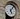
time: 5:06
